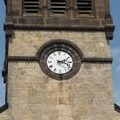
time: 2:18
